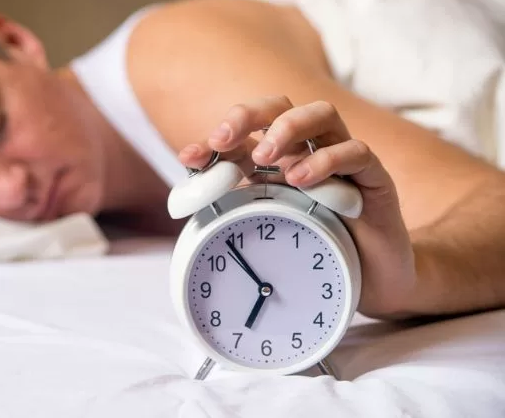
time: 6:53
